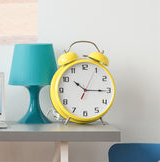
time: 10:15
